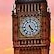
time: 4:26
